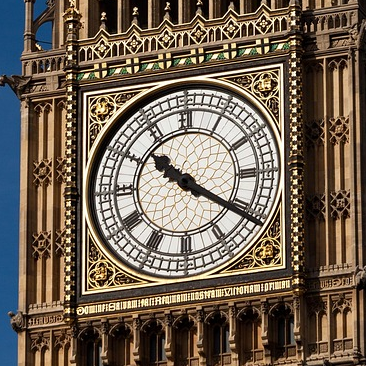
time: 10:20
